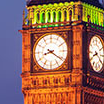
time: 8:21
